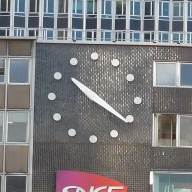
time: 10:20
